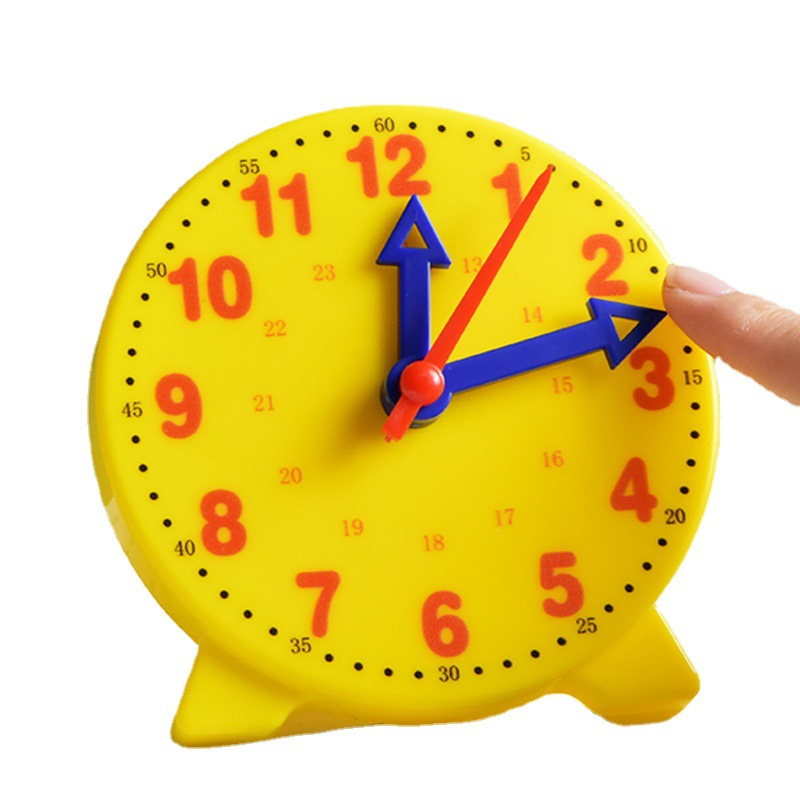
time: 12:12
